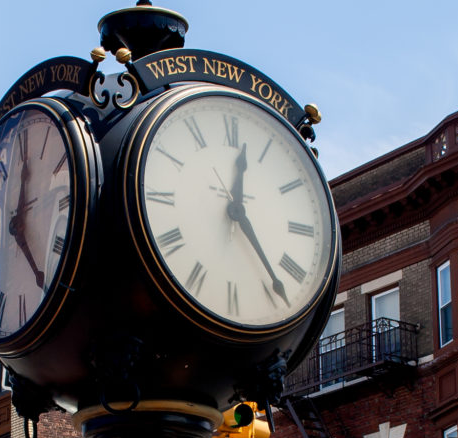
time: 12:23
